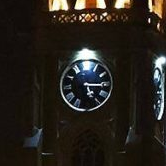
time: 5:15
